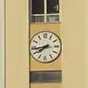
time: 7:43
